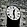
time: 12:28
